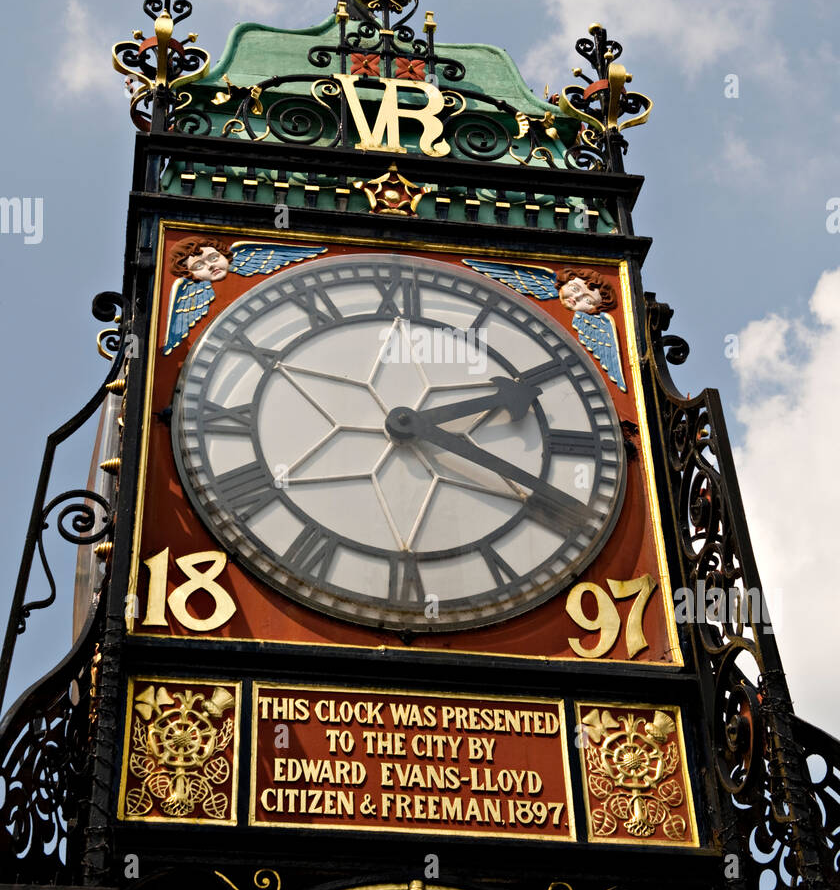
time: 2:18
